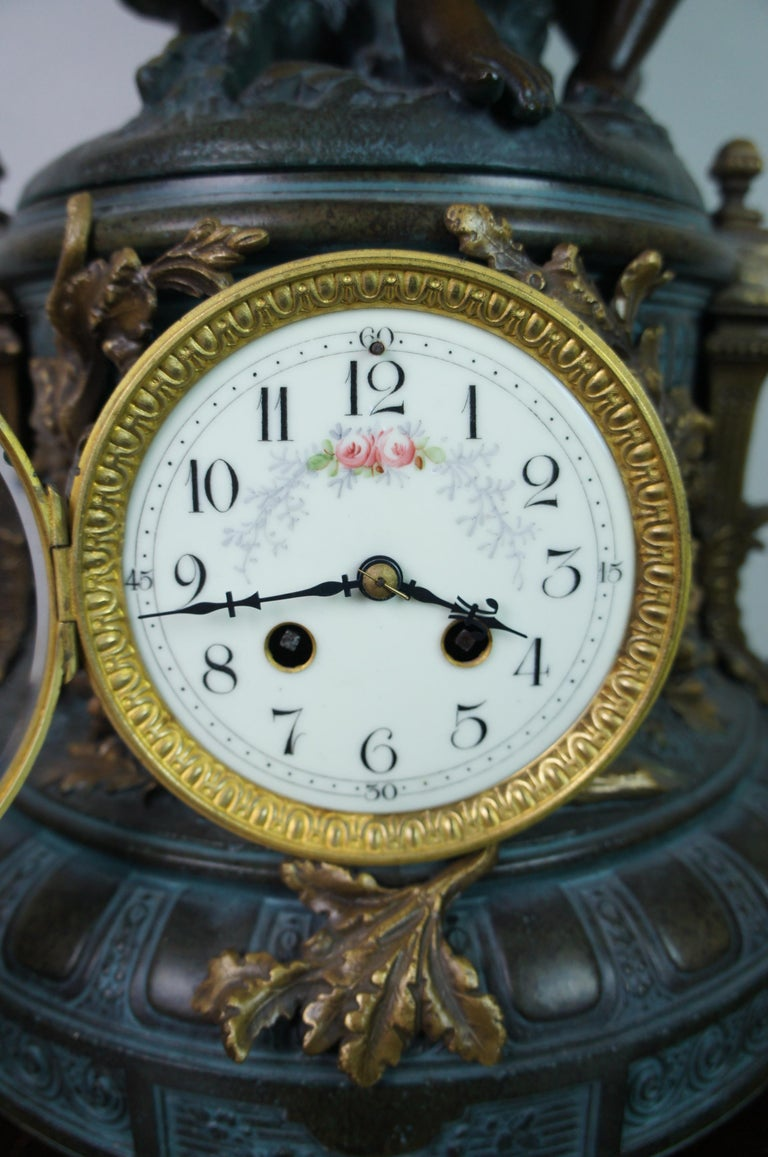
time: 3:43
